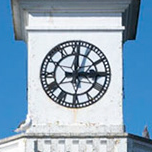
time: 3:00
